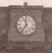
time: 11:36
